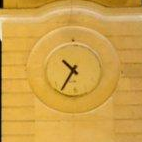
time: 10:34
